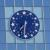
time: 7:30
